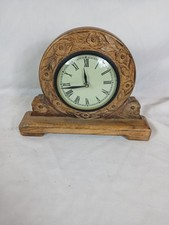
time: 11:42
